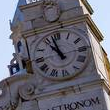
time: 10:57
